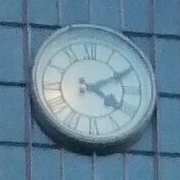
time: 4:10
